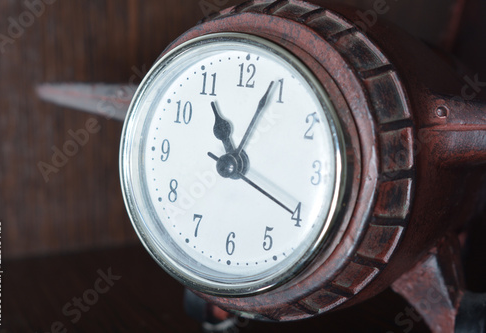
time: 11:04
